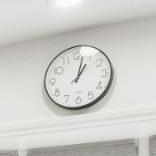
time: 1:02
